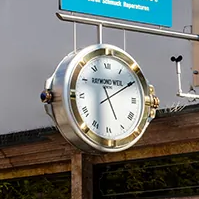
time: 5:10
